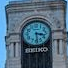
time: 3:29
